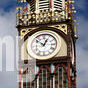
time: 12:52
